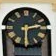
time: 2:30
